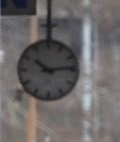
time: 10:13
